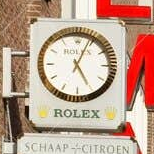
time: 5:04
